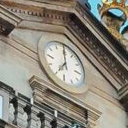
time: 7:00
